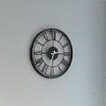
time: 6:14
